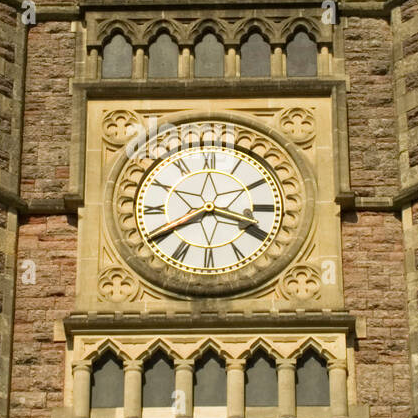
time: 3:40
